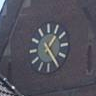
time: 1:24
